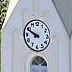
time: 9:49
